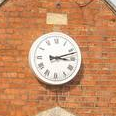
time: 3:11
